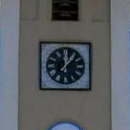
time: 12:06
